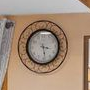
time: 3:28
